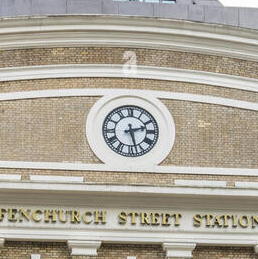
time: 2:27
